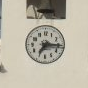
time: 7:15
